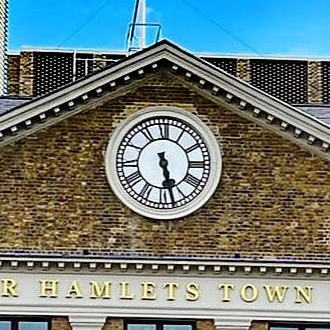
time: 5:27
